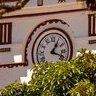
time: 1:18
